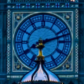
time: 8:12
